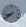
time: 8:38
